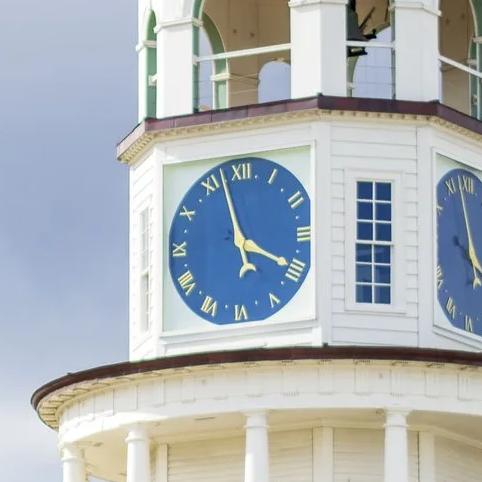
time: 3:57
